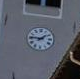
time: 1:46
